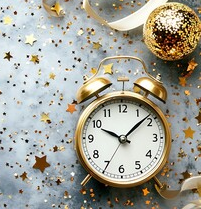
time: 10:08
